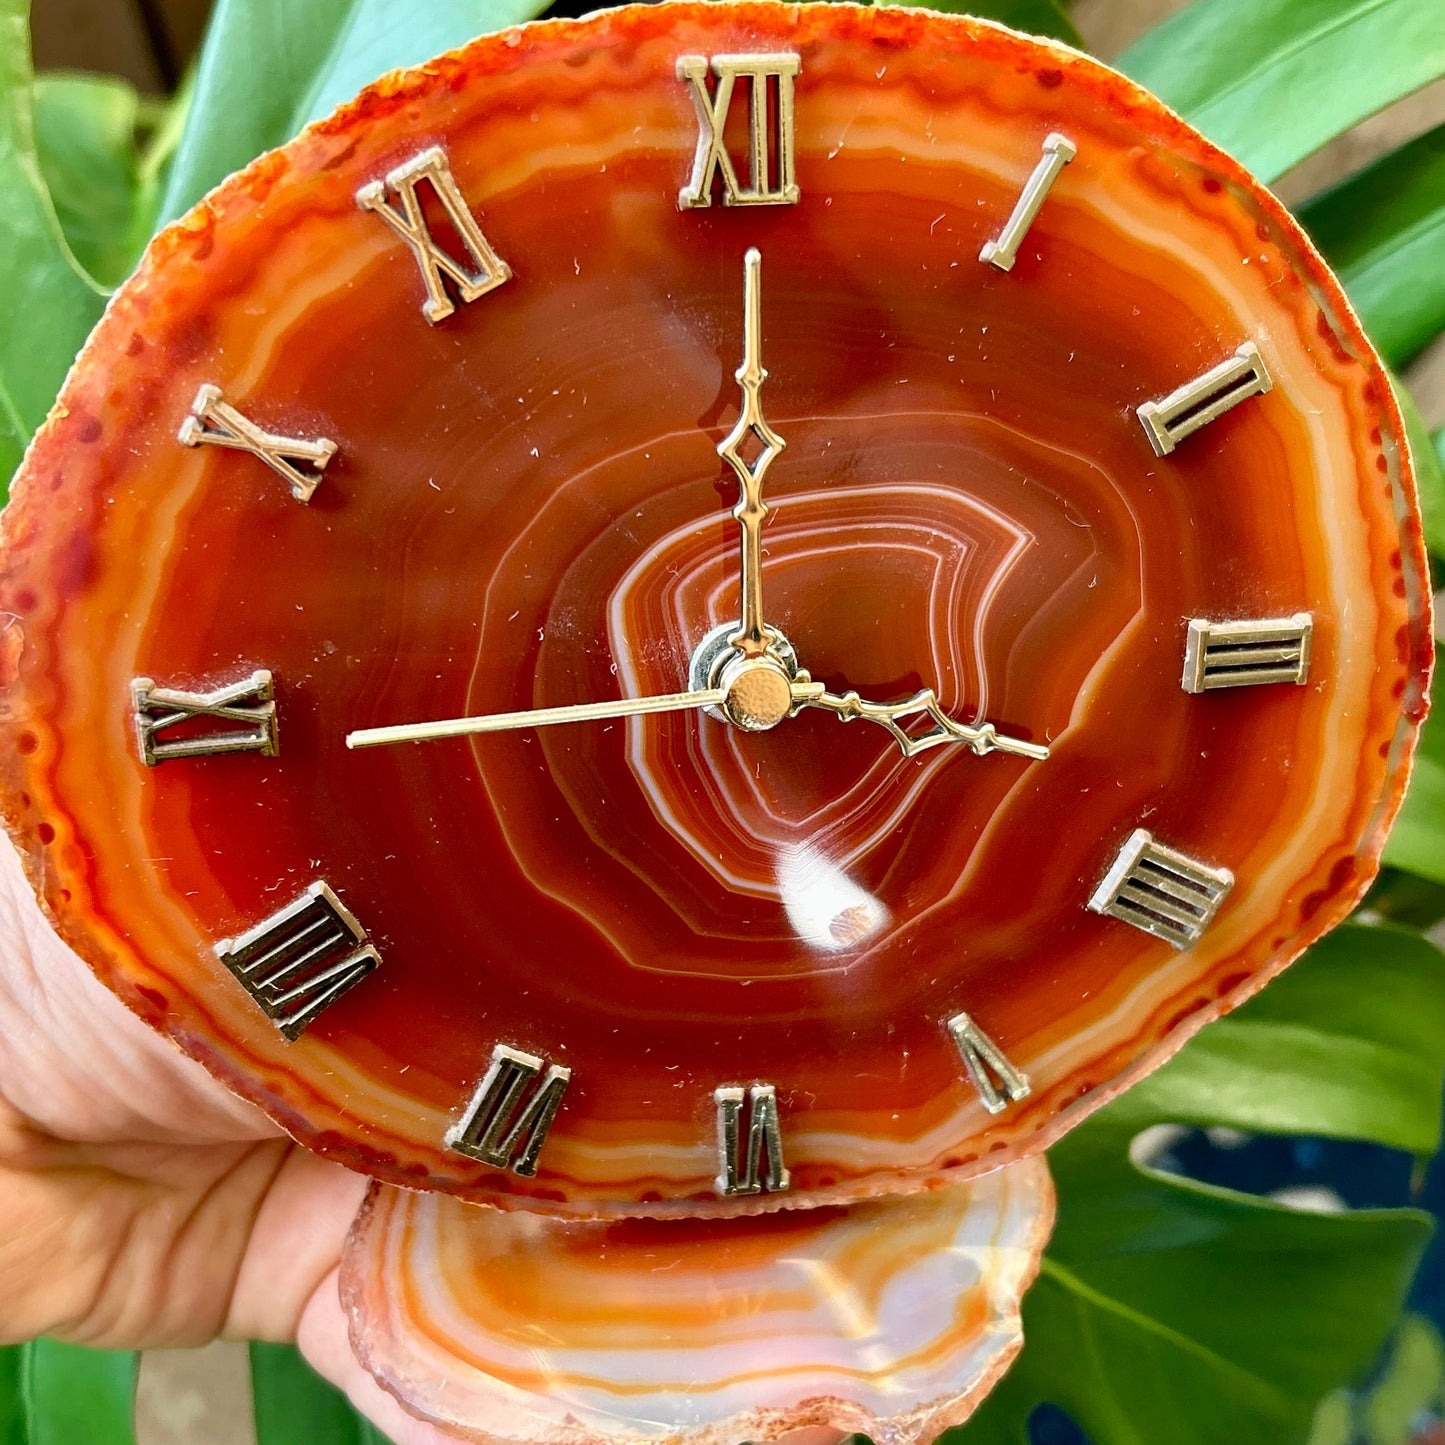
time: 3:44
